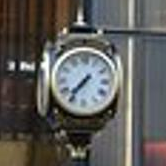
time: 7:36
